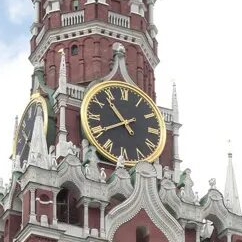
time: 10:39
